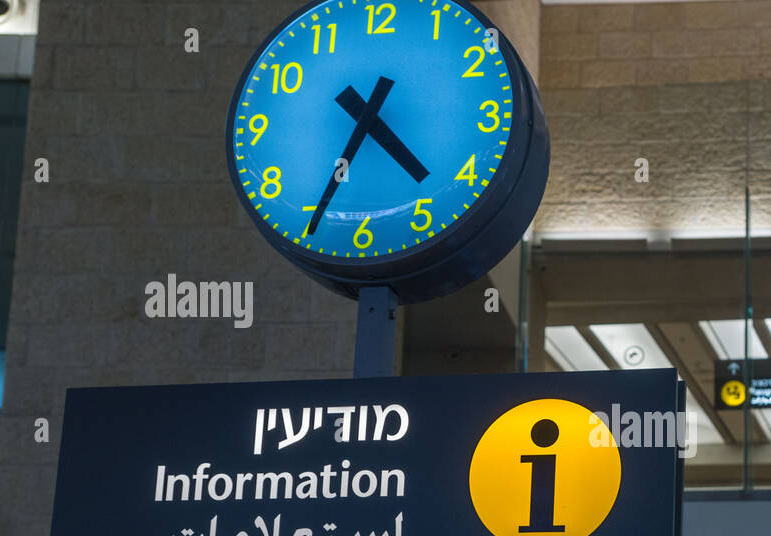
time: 4:34
